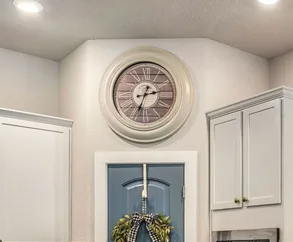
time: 2:33
